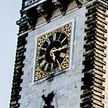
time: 5:14
